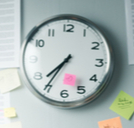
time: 7:35
